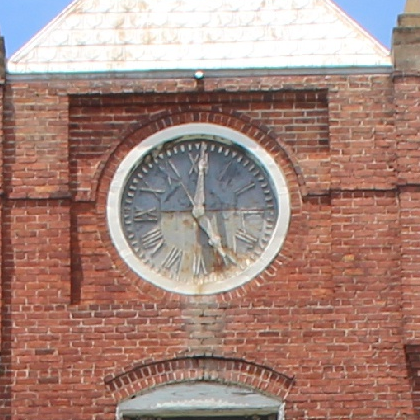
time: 5:00
